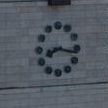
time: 8:16
